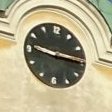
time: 9:15
